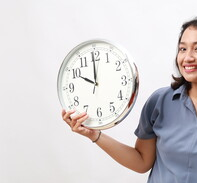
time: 9:59
